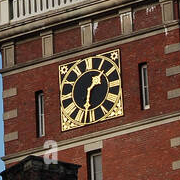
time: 1:32
